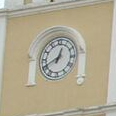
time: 12:40
